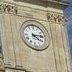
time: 4:13
